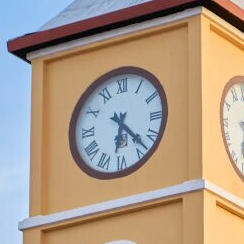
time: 6:22
